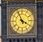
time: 3:55
